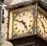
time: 4:49
